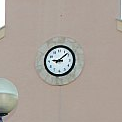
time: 9:08
